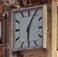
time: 6:04
